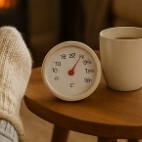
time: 1:05
